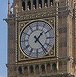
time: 1:23
